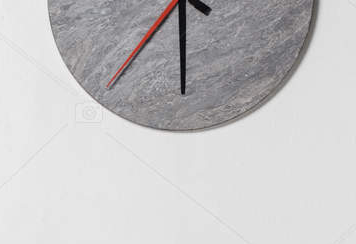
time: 5:36
